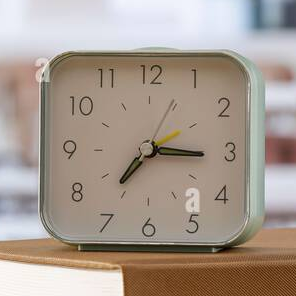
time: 7:15
